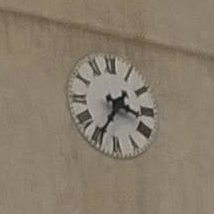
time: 3:35
